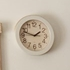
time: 1:47
